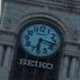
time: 6:17
